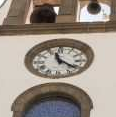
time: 11:21
